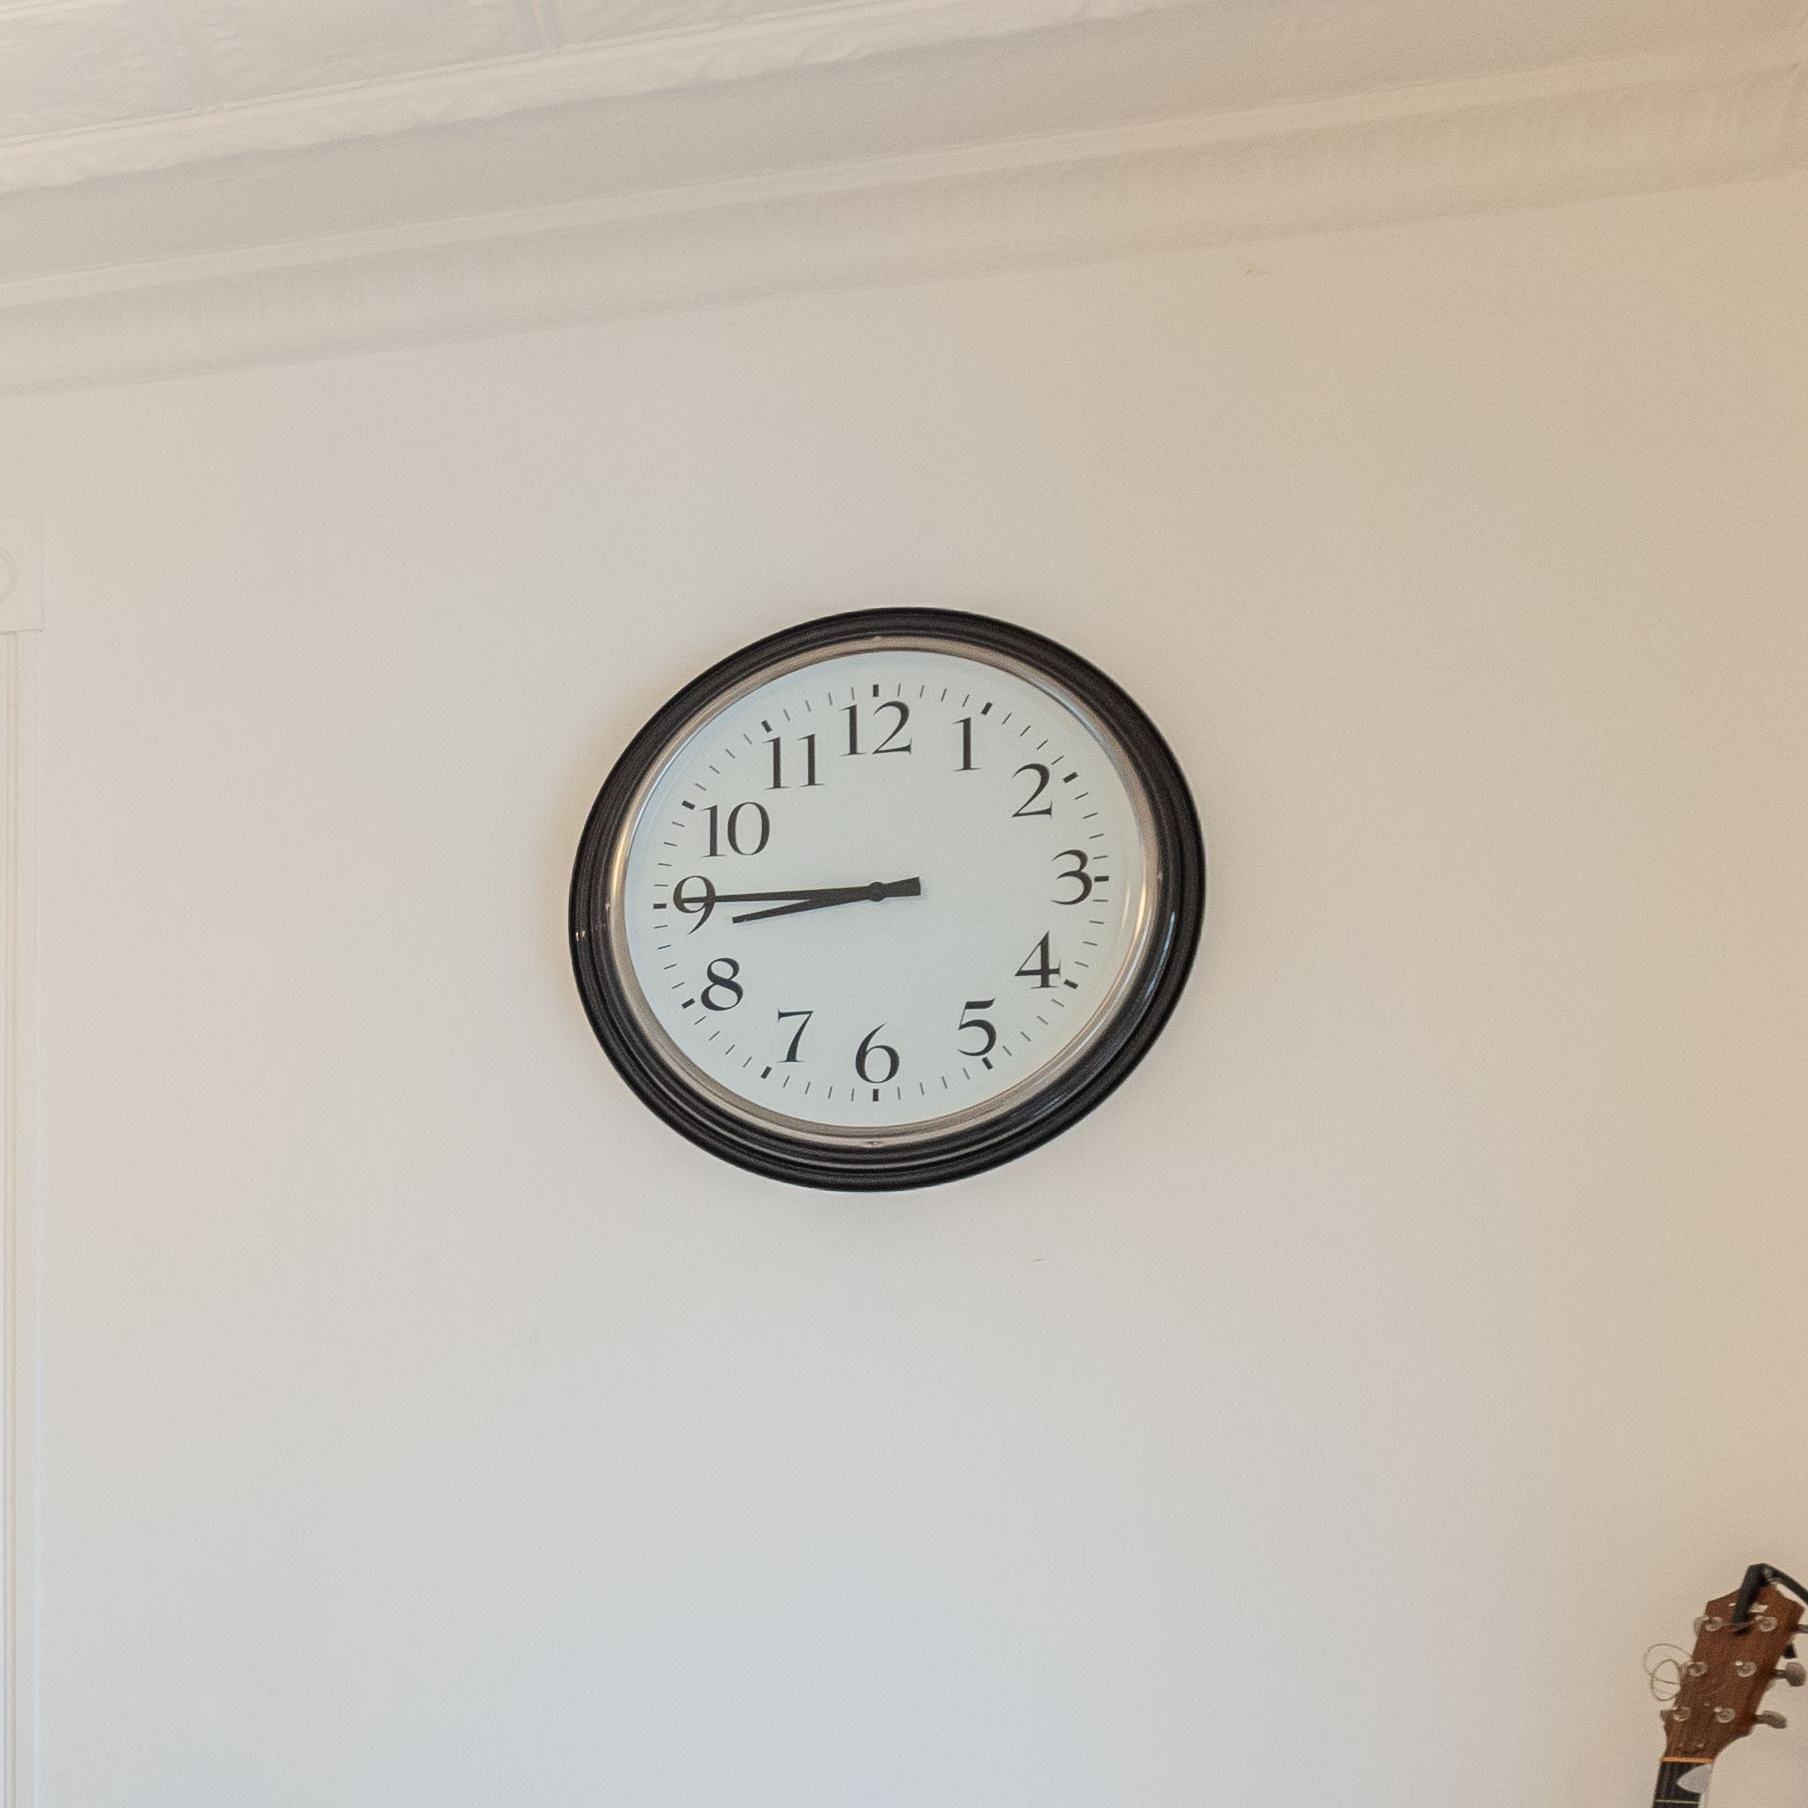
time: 8:45
